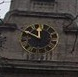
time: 11:49
